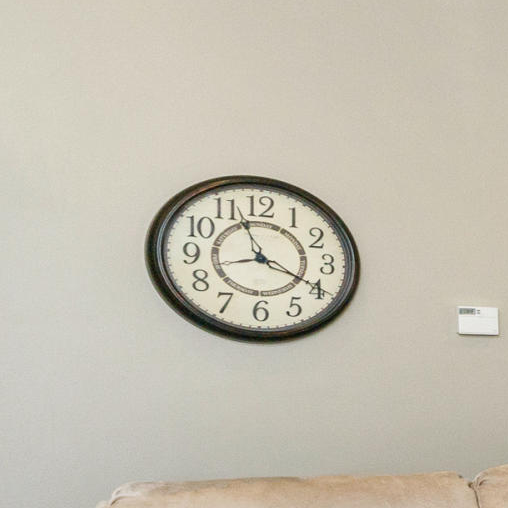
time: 8:19
